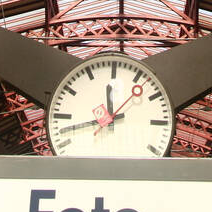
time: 11:42
